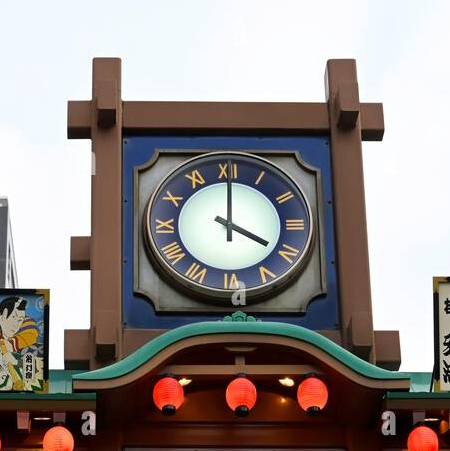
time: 4:00
